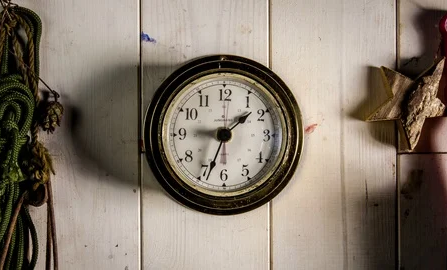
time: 1:33
